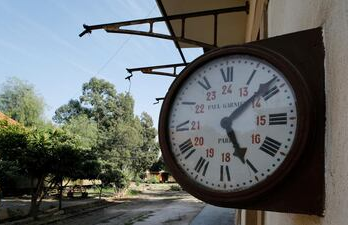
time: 5:08
